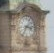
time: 3:34
